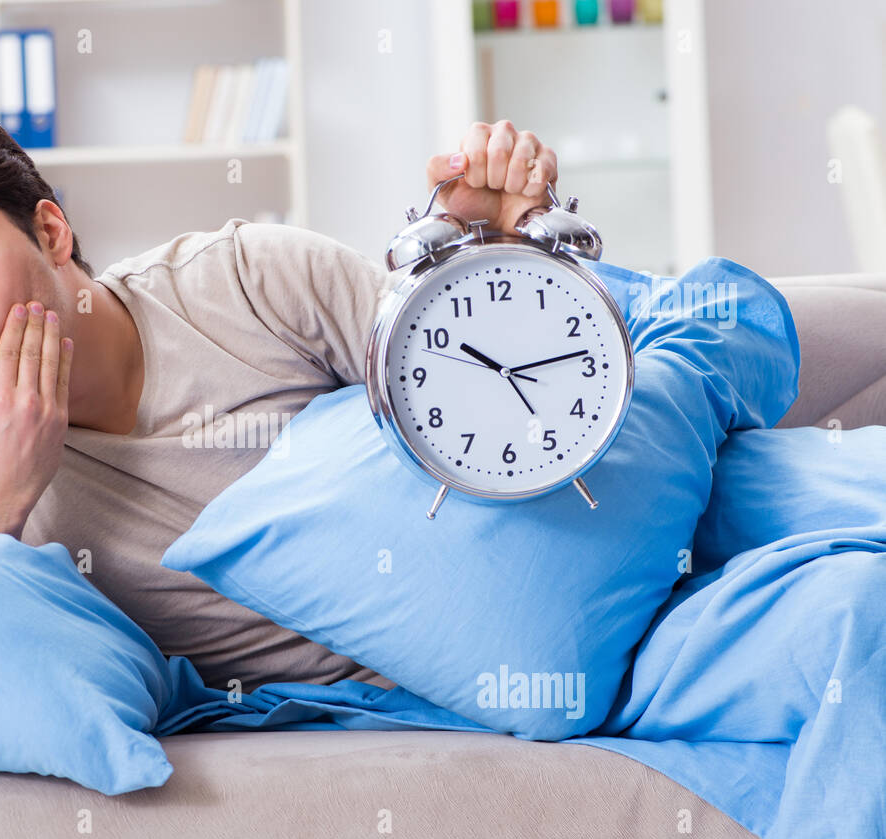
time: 10:13
